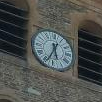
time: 5:34
